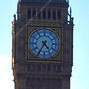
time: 4:35
